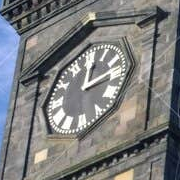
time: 12:13
